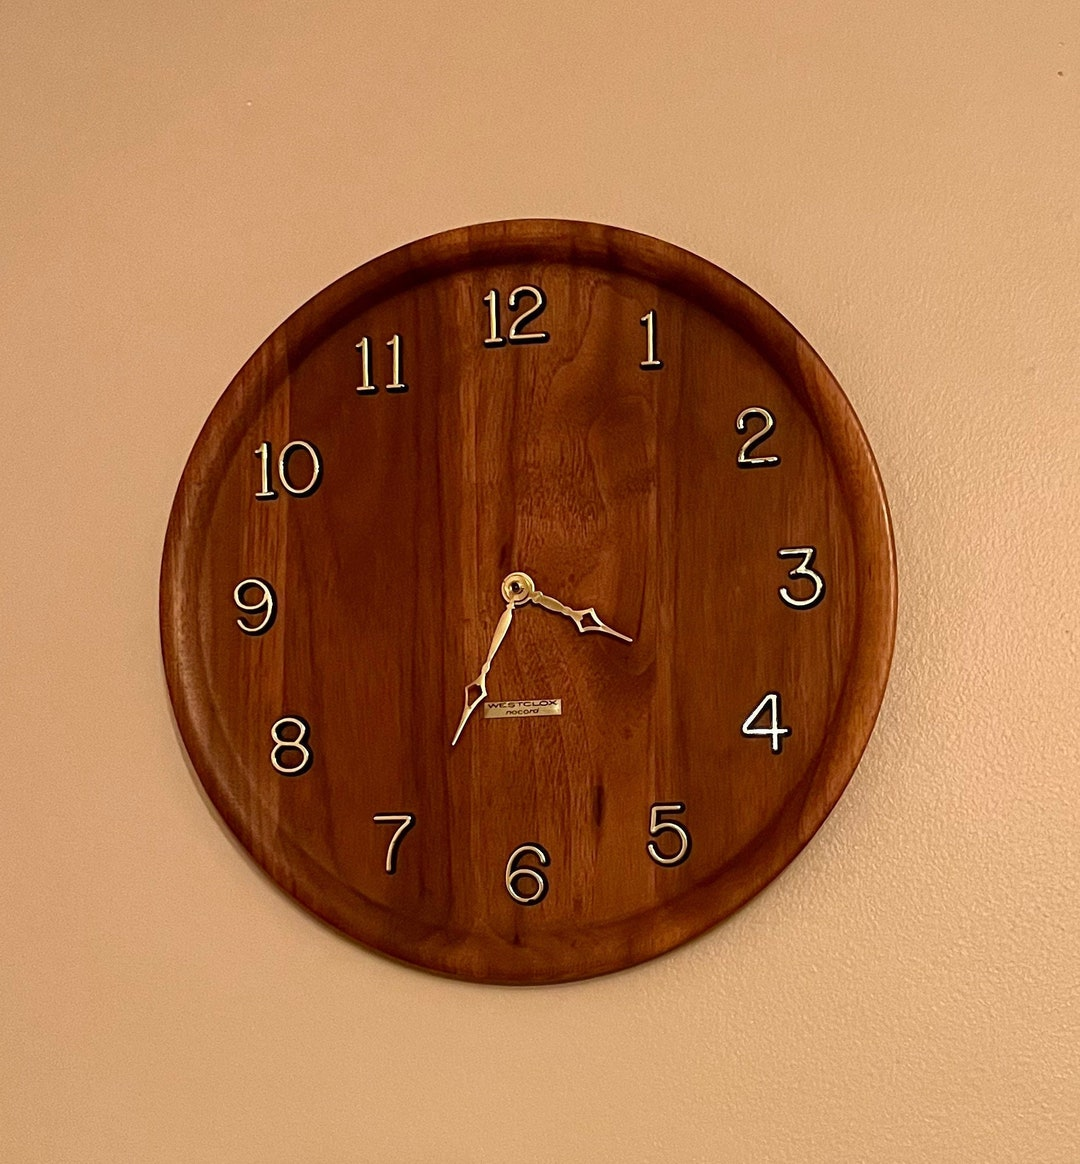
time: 3:34
